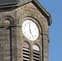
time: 4:59
